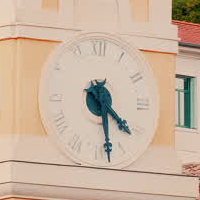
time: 4:28
